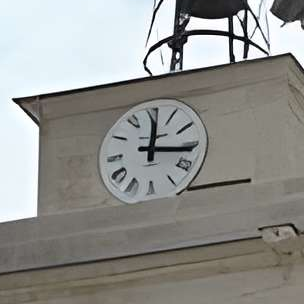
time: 12:16
